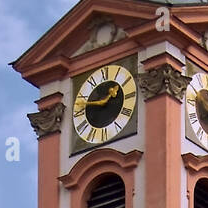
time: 1:47
